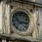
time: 10:14
